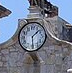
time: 1:29
